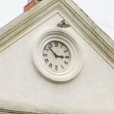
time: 2:52
